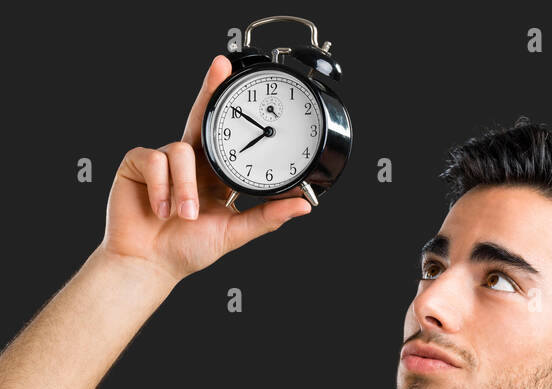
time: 7:50
